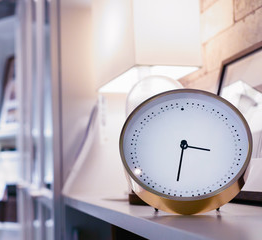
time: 3:32
